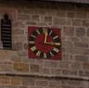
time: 3:02
